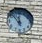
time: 11:52
